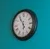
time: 5:54
